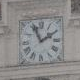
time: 1:56
